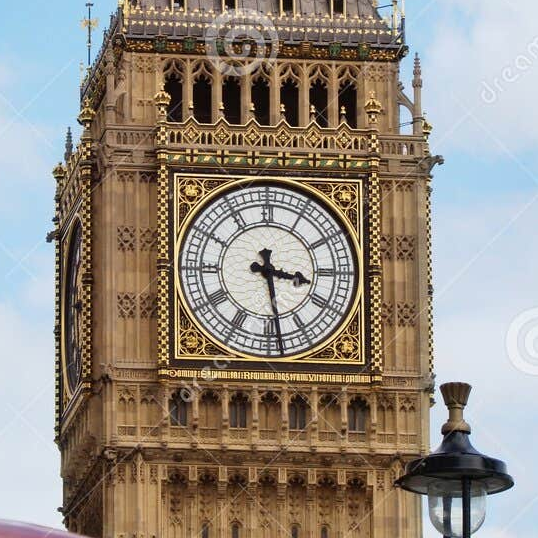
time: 3:28
